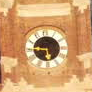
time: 5:45
